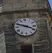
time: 3:48
